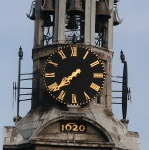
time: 7:38
